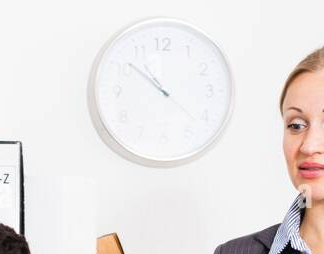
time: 10:51
